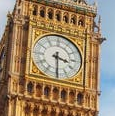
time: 3:29
